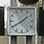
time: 1:40
